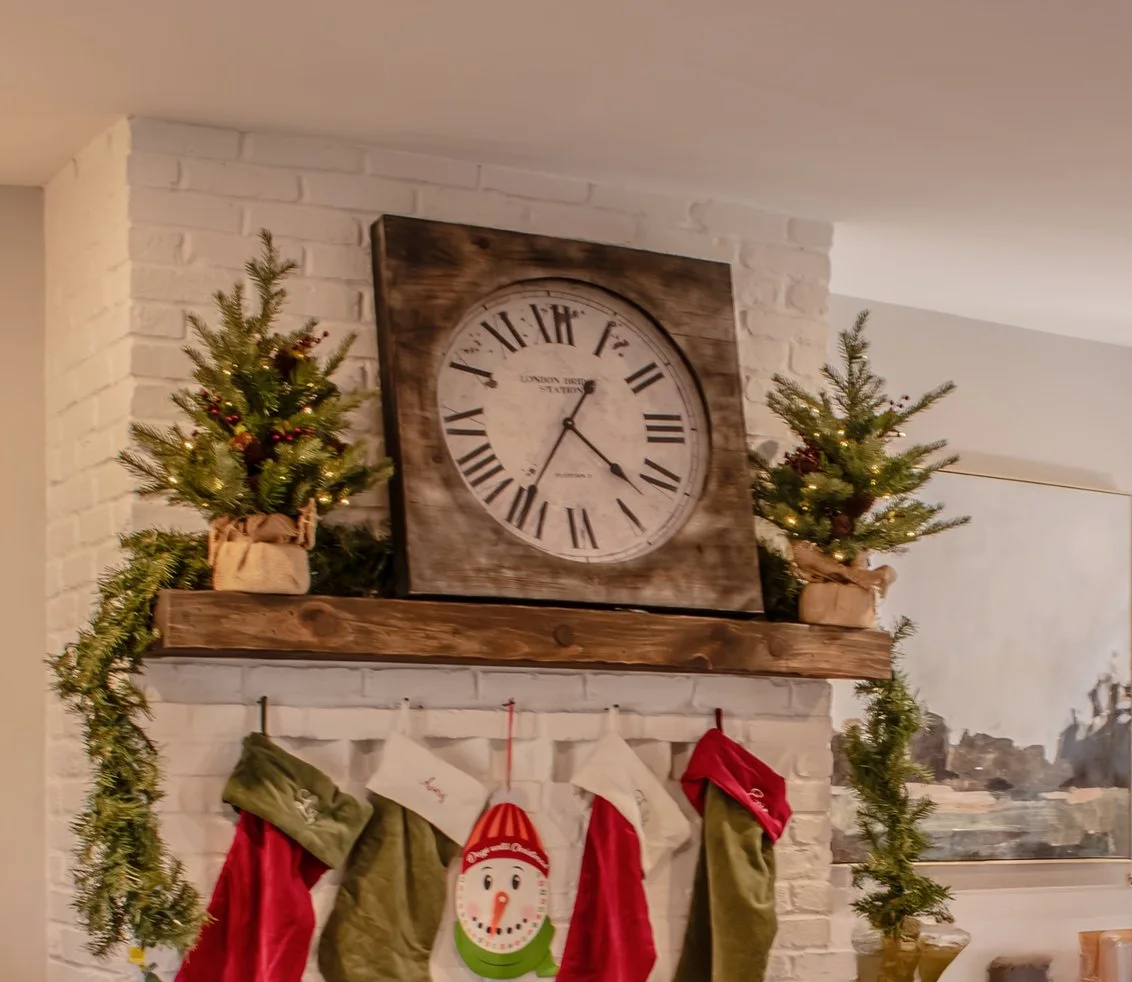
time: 4:35
